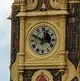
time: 12:48
